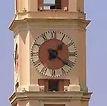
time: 1:21
